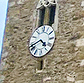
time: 4:41
